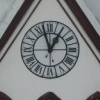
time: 12:57
